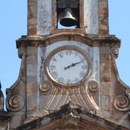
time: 2:11
